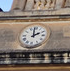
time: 1:59
